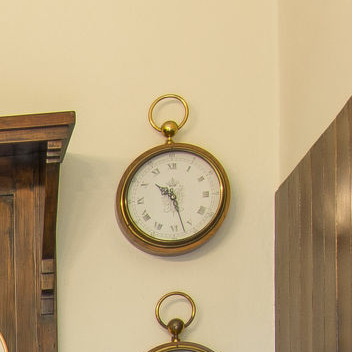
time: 10:27
